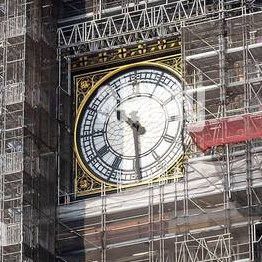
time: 10:30
